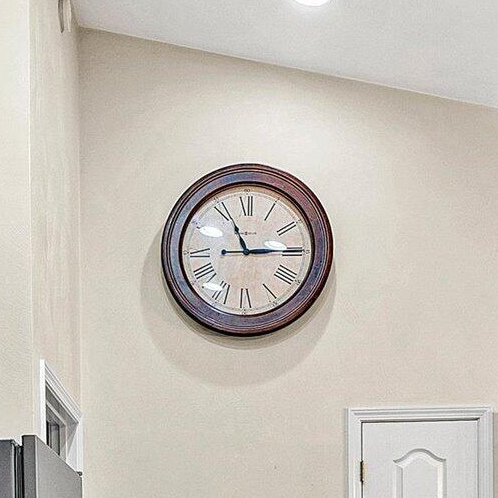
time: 11:14
